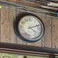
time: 4:11
